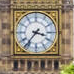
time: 3:36
